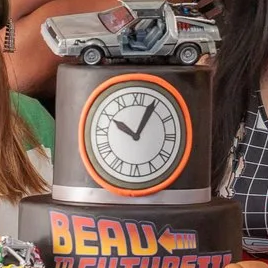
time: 10:04
